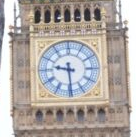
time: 9:29
